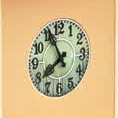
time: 7:55
